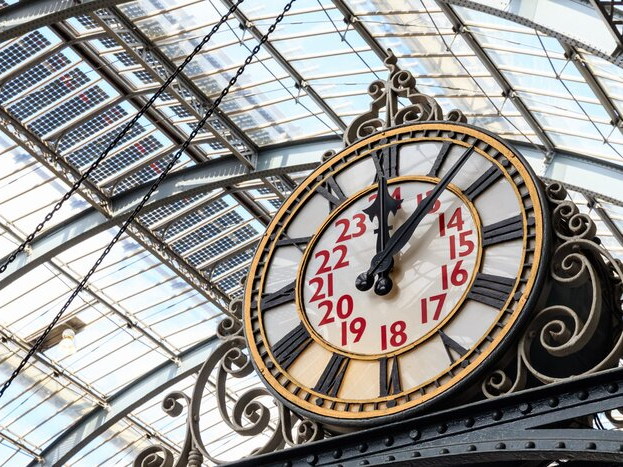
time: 12:07
